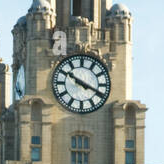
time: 3:50
